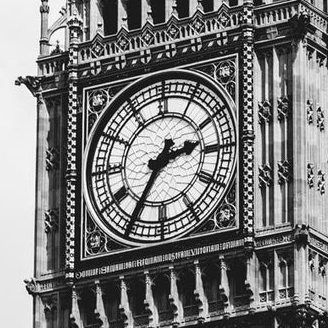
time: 2:35
